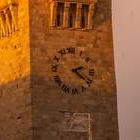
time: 2:21
